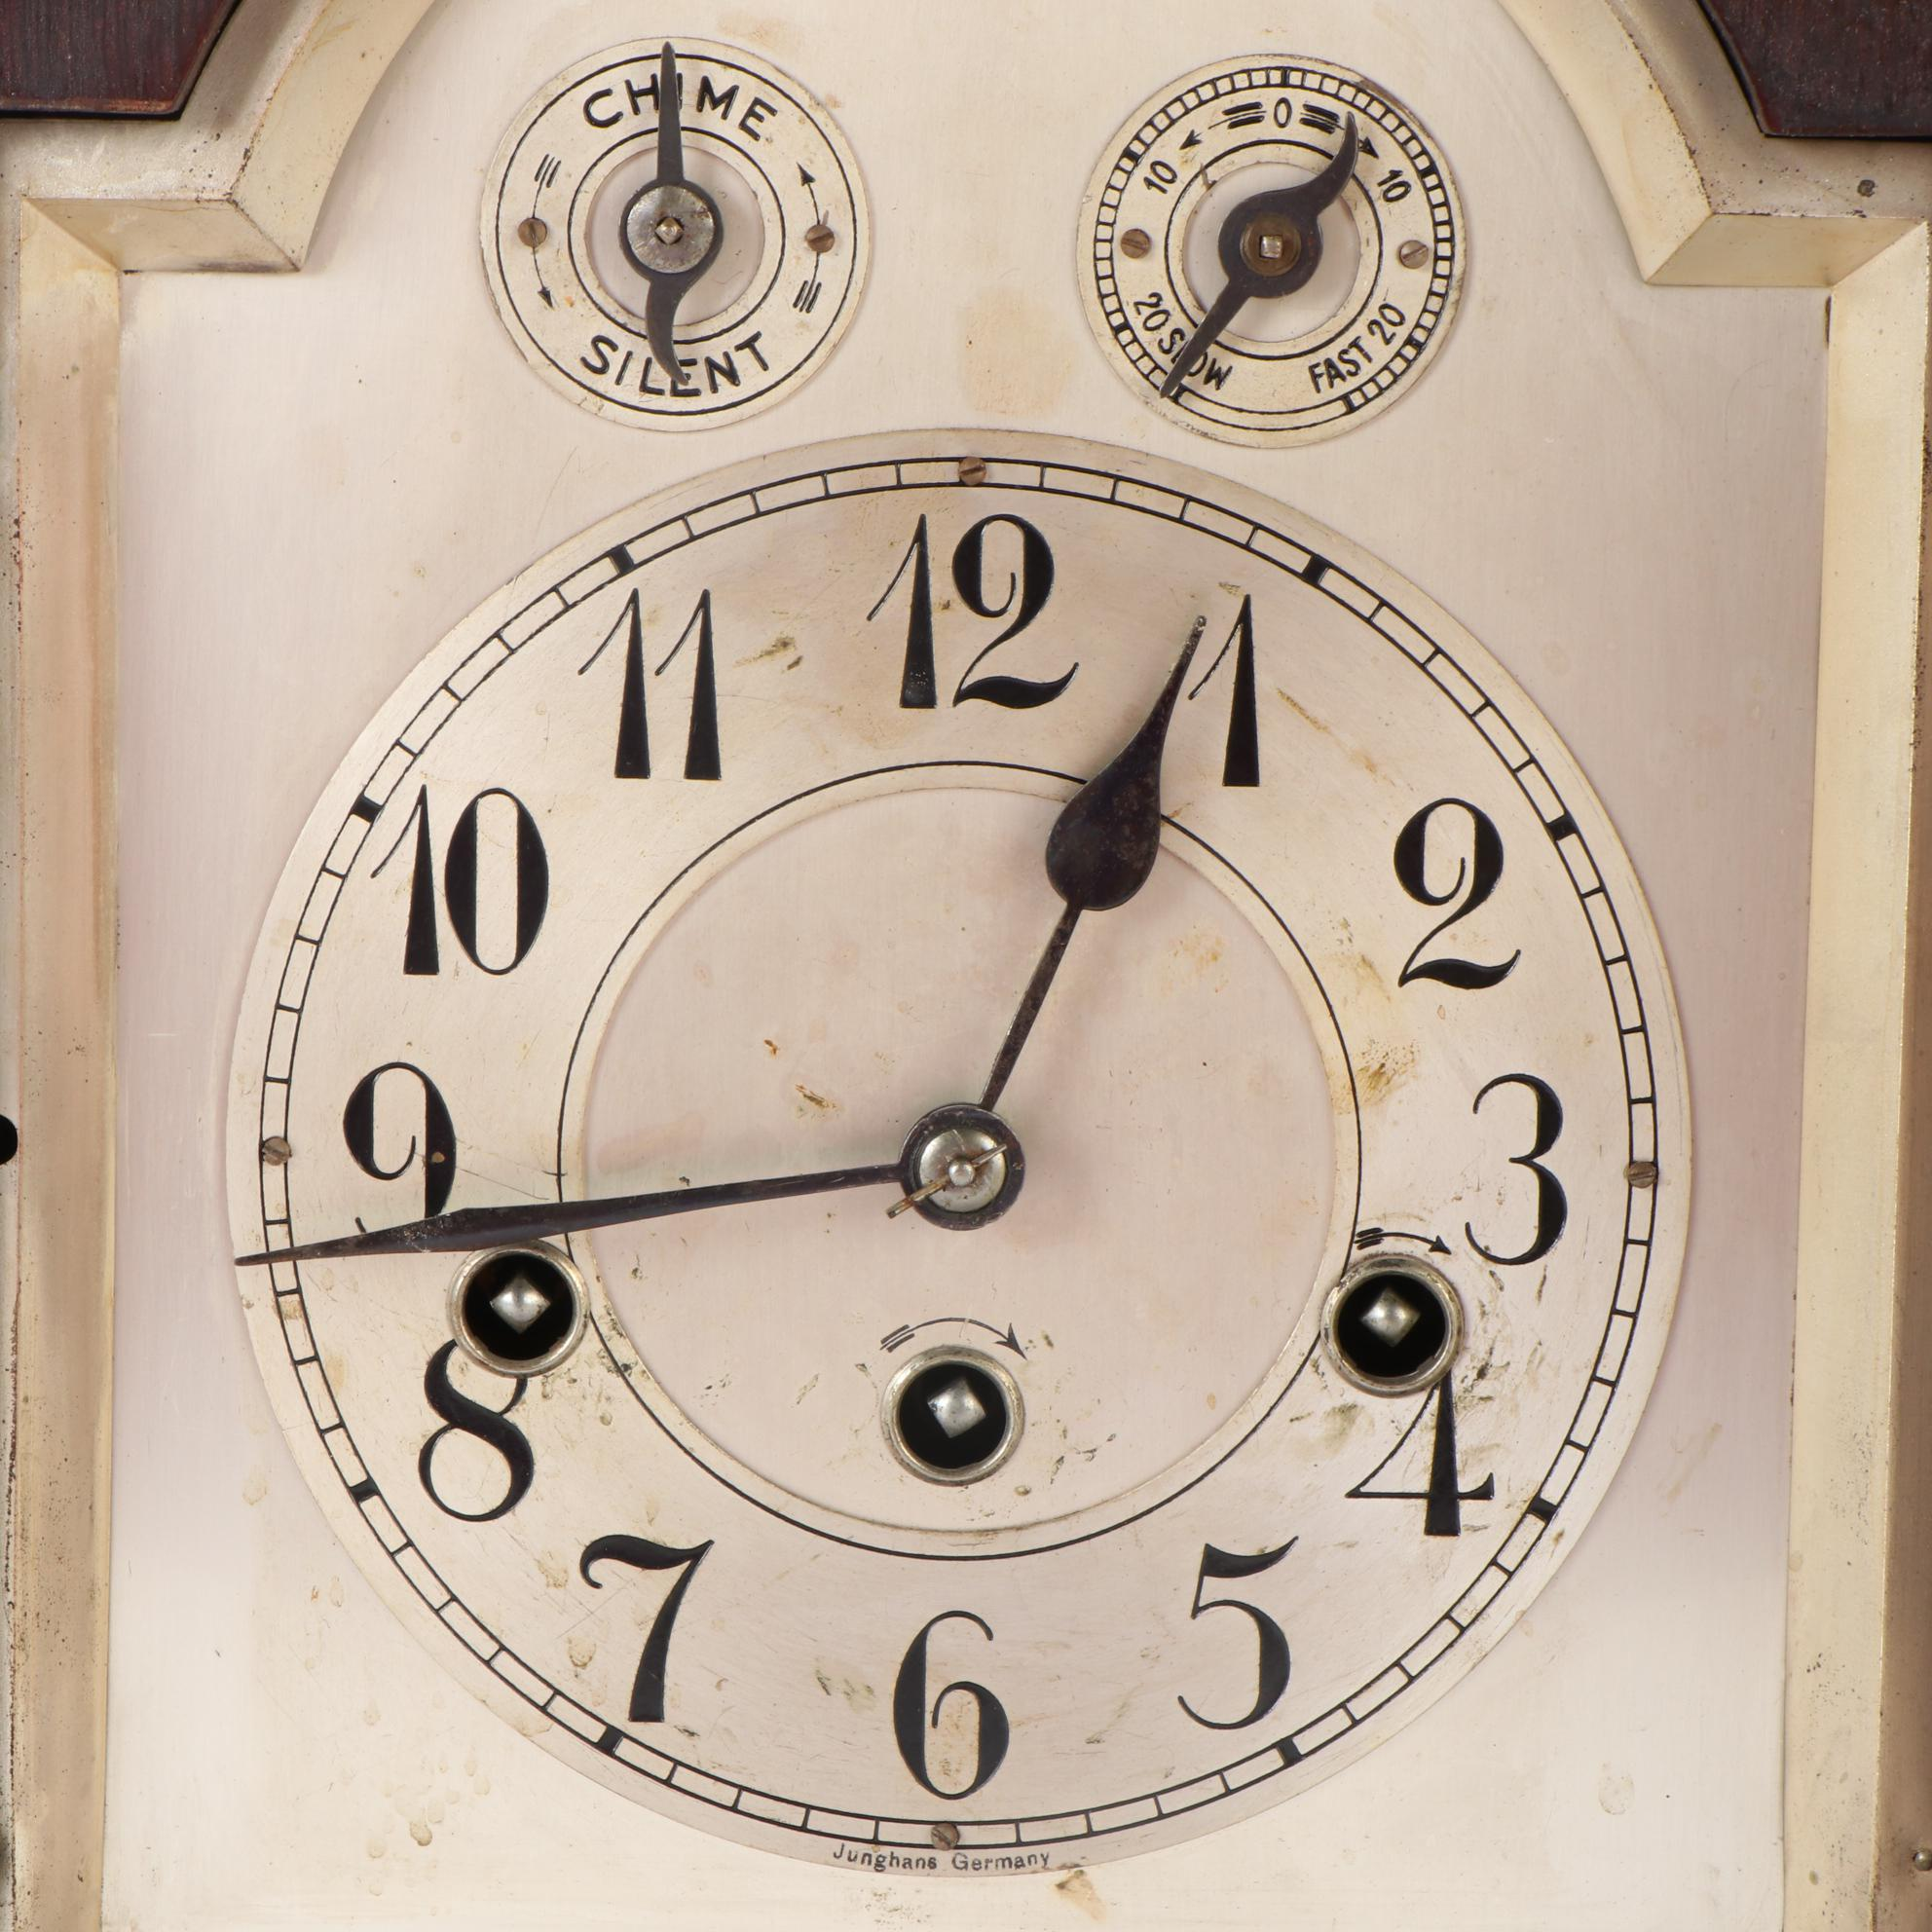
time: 12:43
